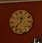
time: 12:37
